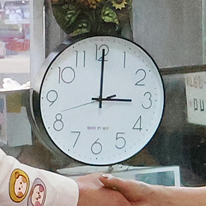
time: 3:00
